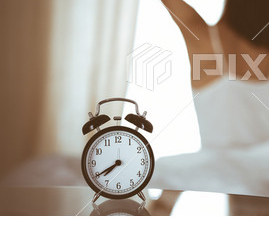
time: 7:40
